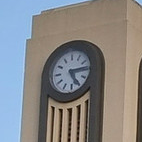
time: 5:14
